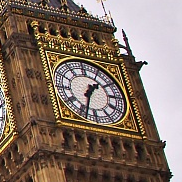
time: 1:33
